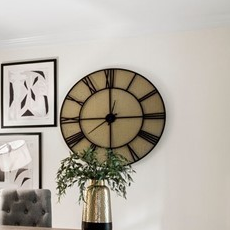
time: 2:59
